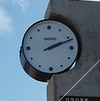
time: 2:11
